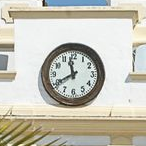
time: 11:40
